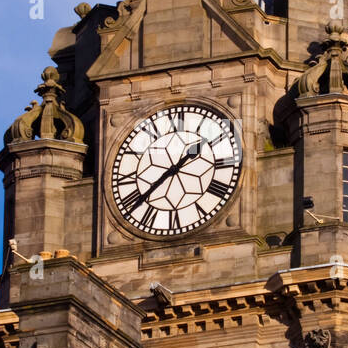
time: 1:38
